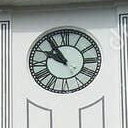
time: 9:54
